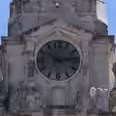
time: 10:13
